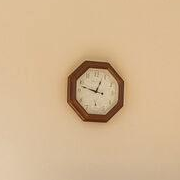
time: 12:47
